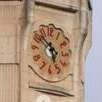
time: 5:51
